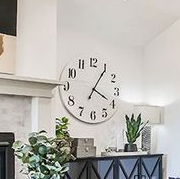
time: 4:05
